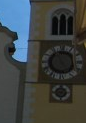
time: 4:55
